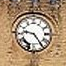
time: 9:24
